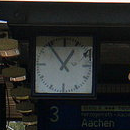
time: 12:53
